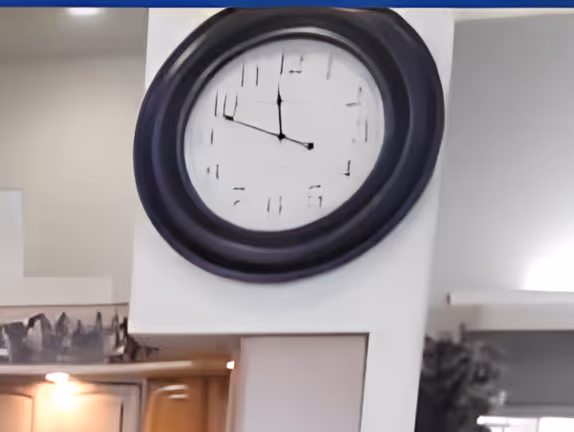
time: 11:48
